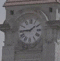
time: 1:44
